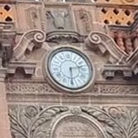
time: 2:29
